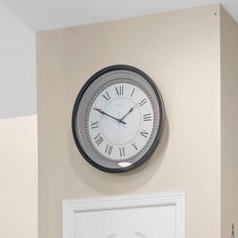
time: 1:49
